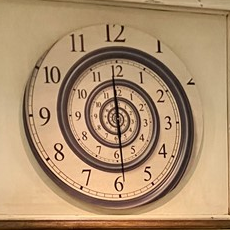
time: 5:59
